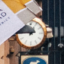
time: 10:45
